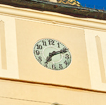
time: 7:11
